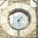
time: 1:28
